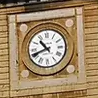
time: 10:41
